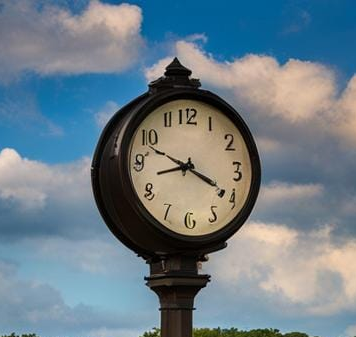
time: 8:19
